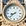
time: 8:38
